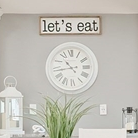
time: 10:43
